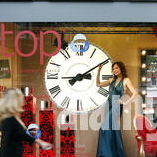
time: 3:09
